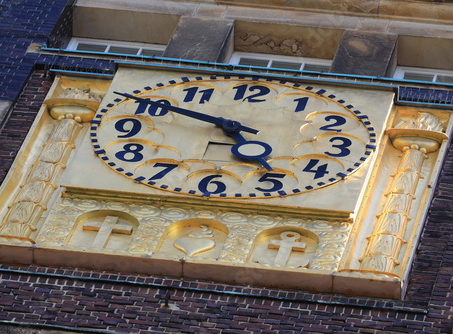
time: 4:50
